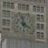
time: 3:58
